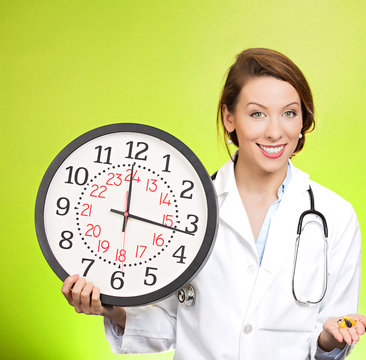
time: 12:16
